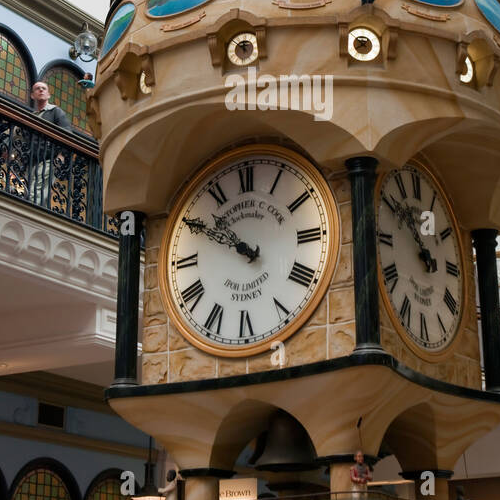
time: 10:50
